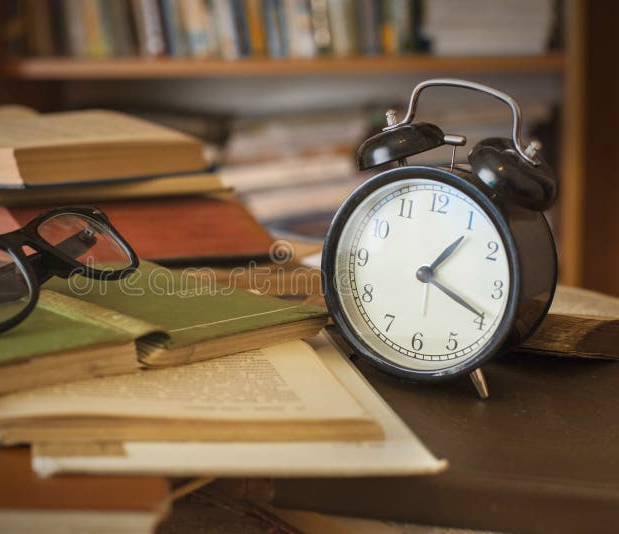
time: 1:19
